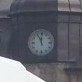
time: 11:55
